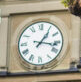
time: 1:16
